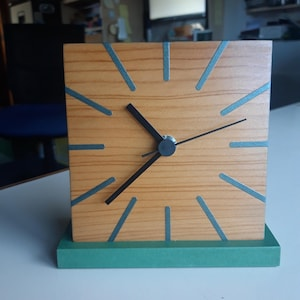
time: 10:37
